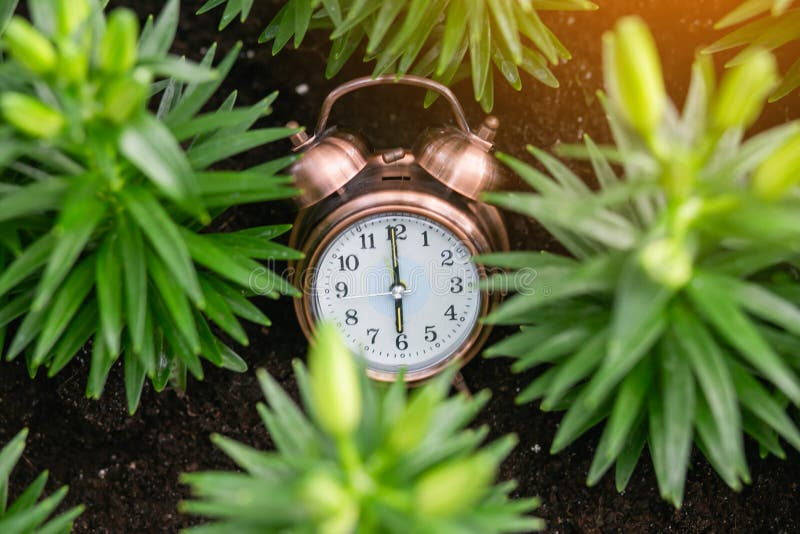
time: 5:59
